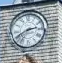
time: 2:40
